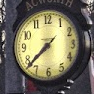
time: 7:37
